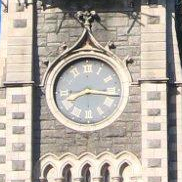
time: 8:16
